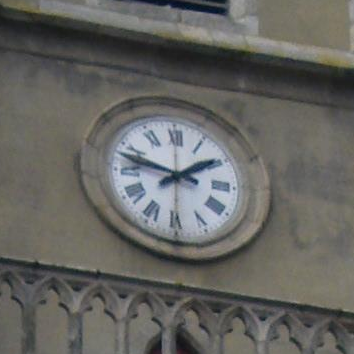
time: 1:47
